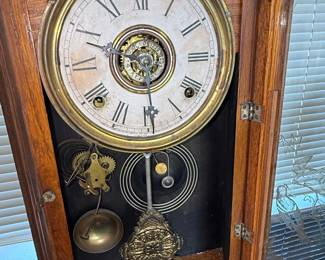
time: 9:29
